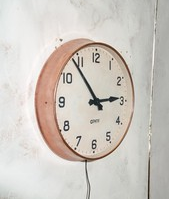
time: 2:53
